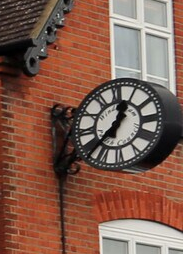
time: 12:37
